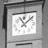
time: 11:07
